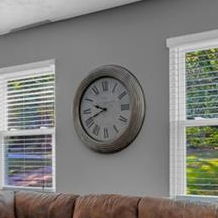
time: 9:41
